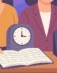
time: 2:59
